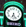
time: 6:26
